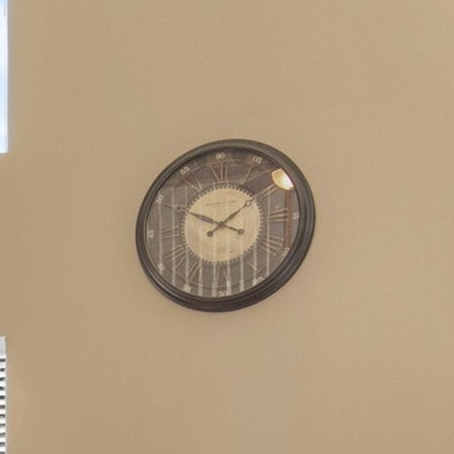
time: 1:49
